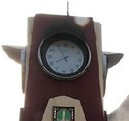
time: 7:55
